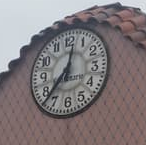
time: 12:37
